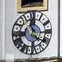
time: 11:21
